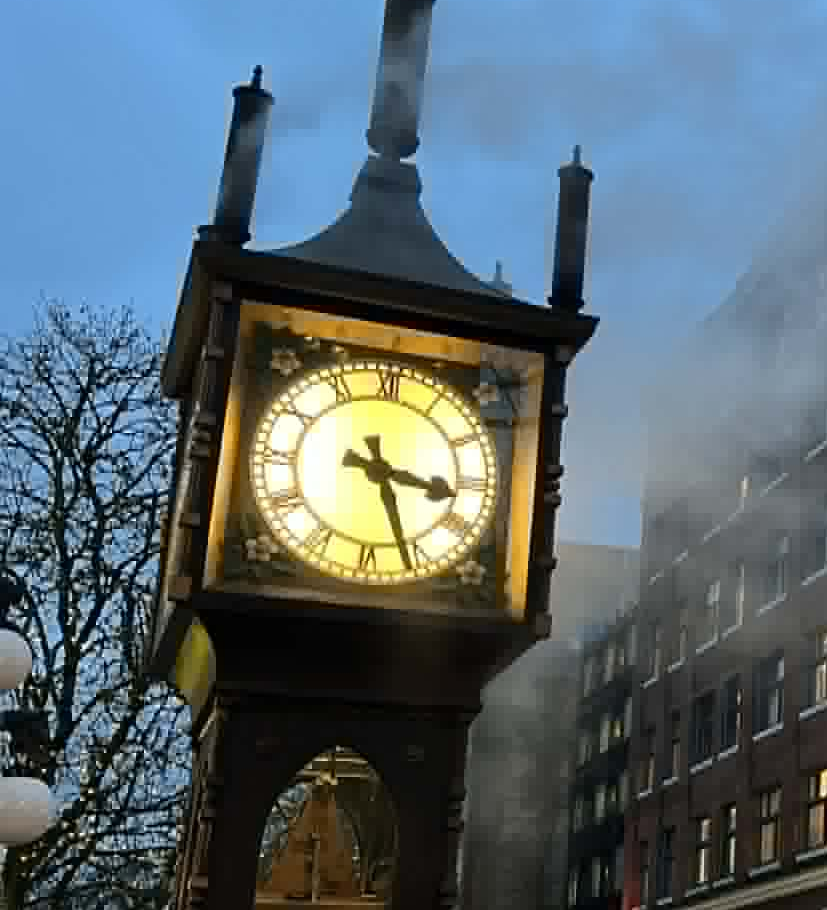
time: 3:26
